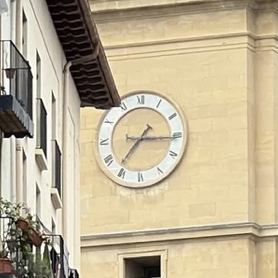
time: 7:15
